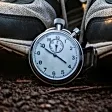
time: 3:49
